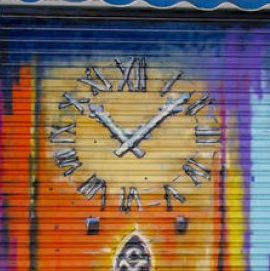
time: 11:07
